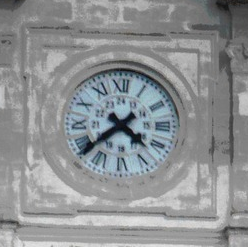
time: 4:38
